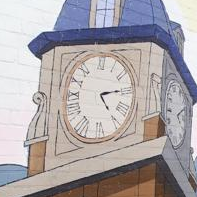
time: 5:14
